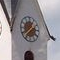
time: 1:37
